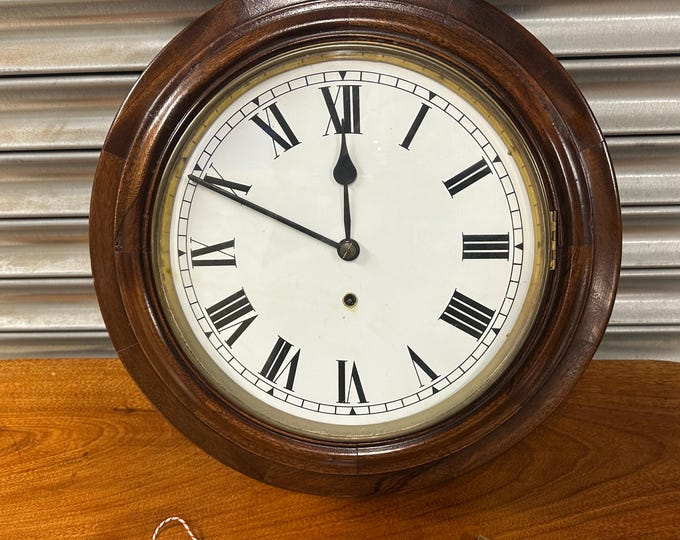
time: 11:49
